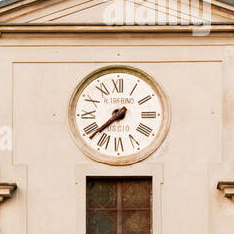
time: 7:37
